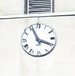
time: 3:55
